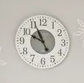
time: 9:55
